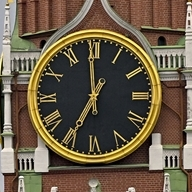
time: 6:59
